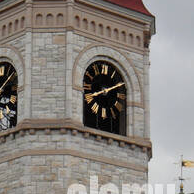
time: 8:10
